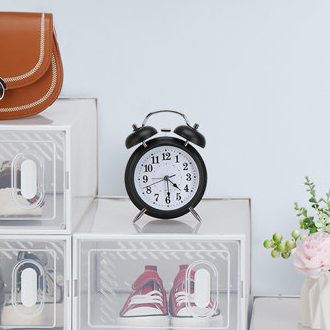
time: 4:29
